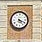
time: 4:19
